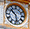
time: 10:28
